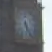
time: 5:24
